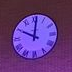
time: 10:00
